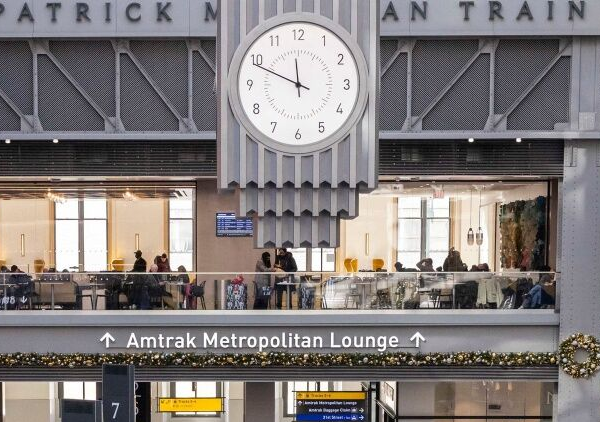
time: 11:48
